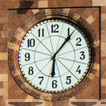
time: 6:06
